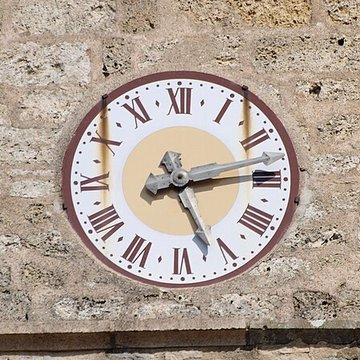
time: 5:14
